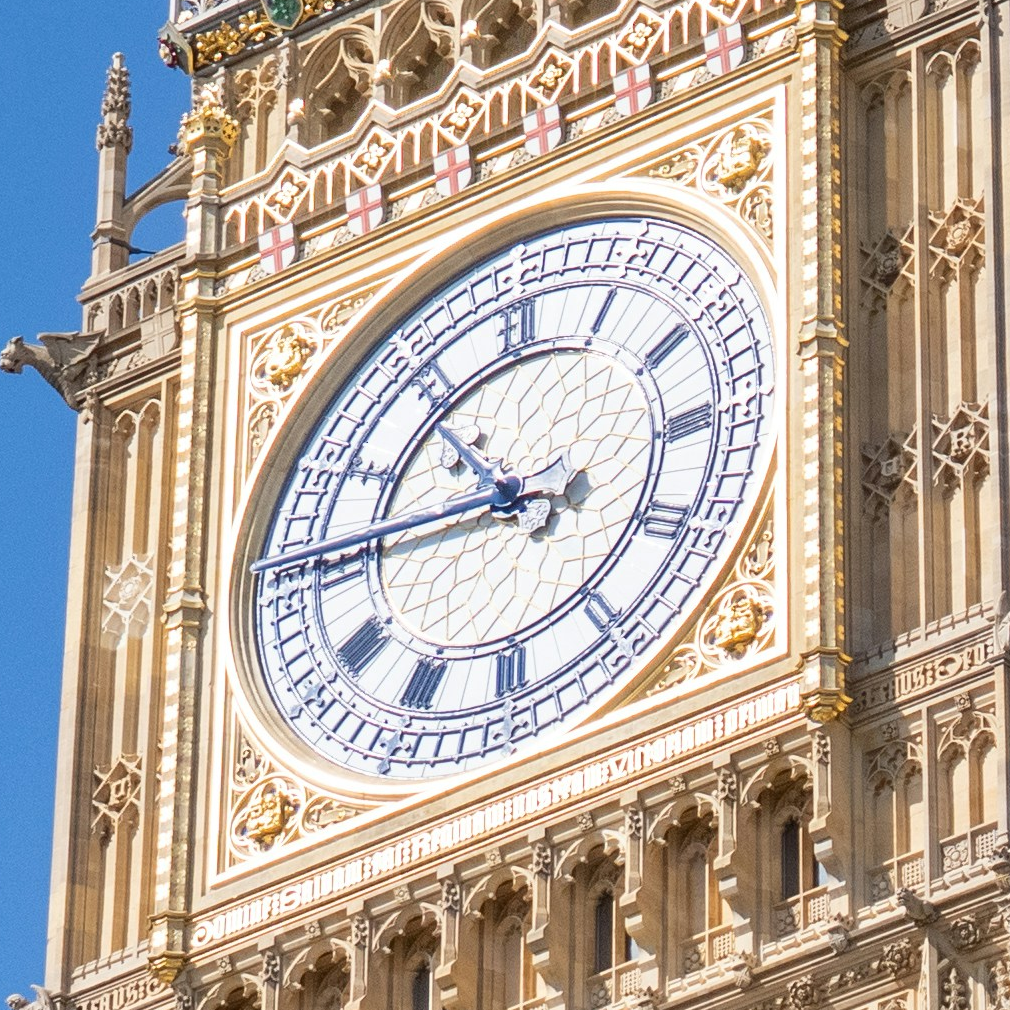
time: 10:45
